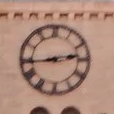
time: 2:43
